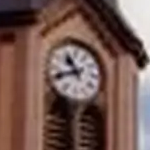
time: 10:41
